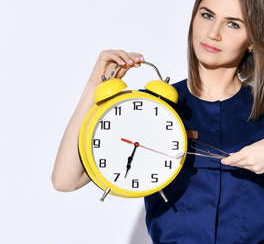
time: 6:33
